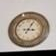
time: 9:04
